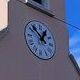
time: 12:52
